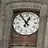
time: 12:53
